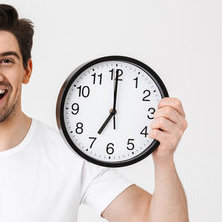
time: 7:00
